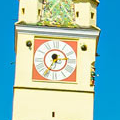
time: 2:35
